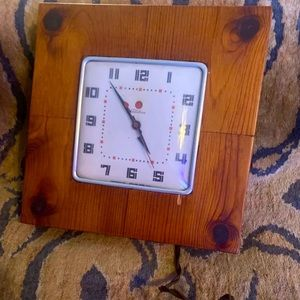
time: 4:53
